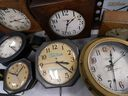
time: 3:21
